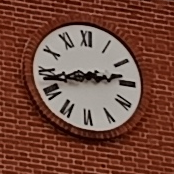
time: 2:42
